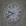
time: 9:41
